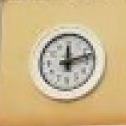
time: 12:12
